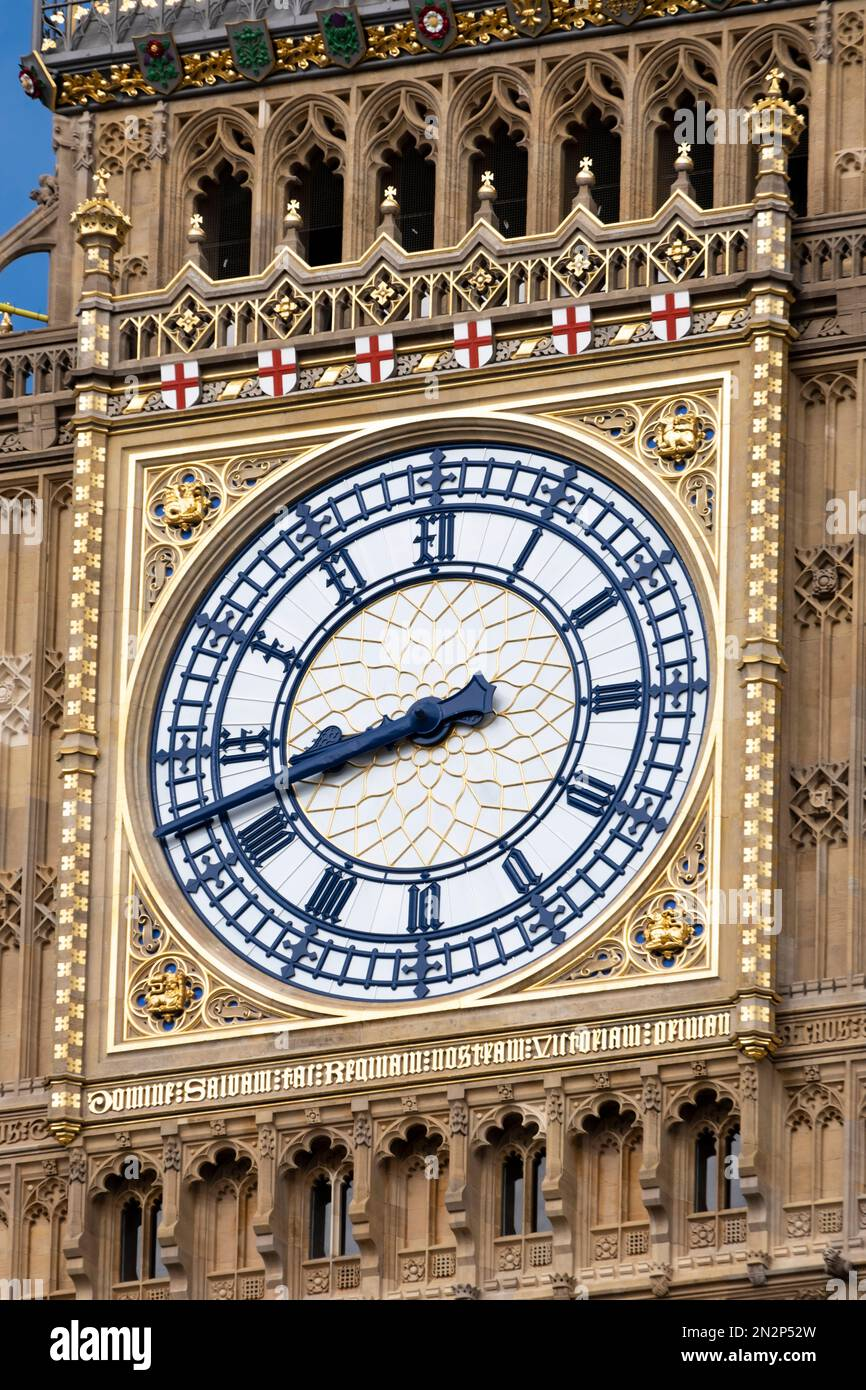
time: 8:42
